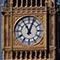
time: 11:03
